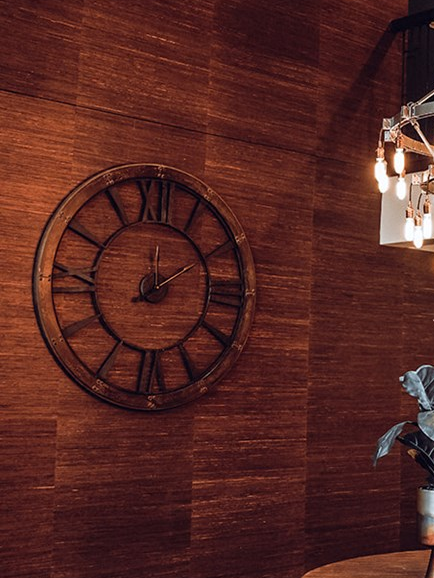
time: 12:09
